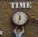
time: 11:32
